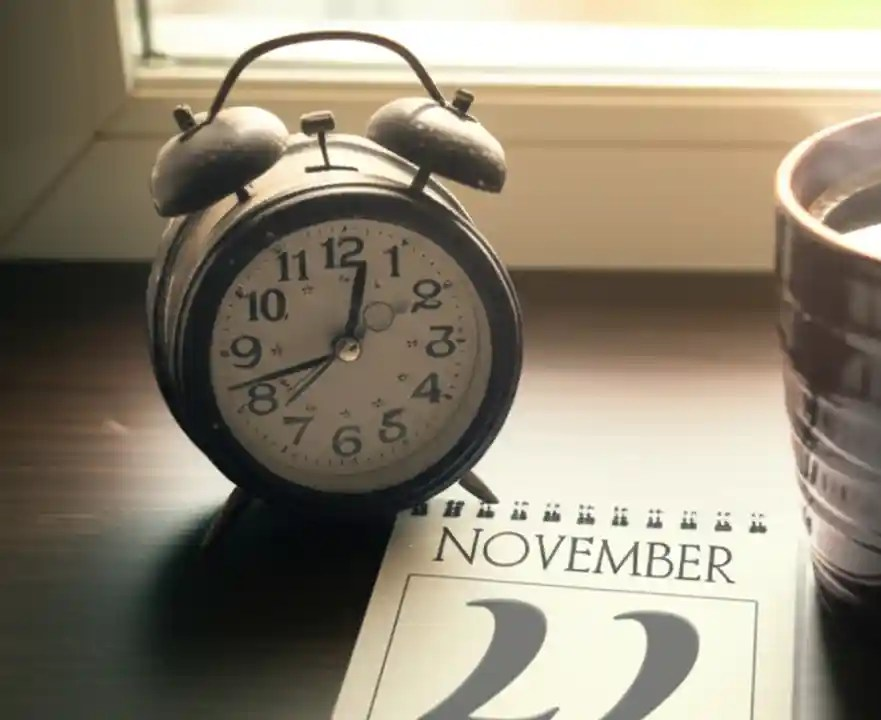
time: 12:41
